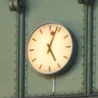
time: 5:03
